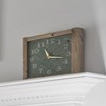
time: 11:17
